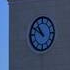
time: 10:50
